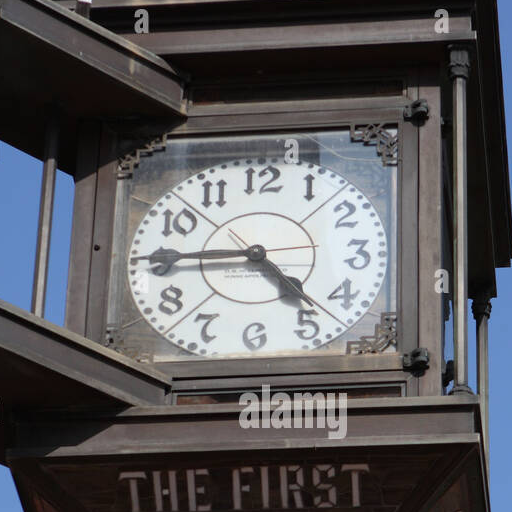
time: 4:45
